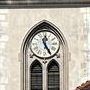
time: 12:24
